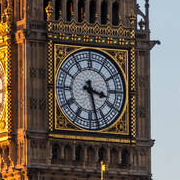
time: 3:27
